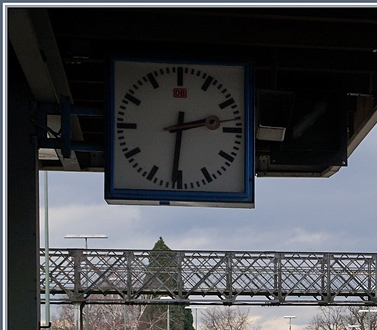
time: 2:31
